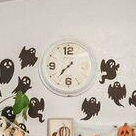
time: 7:36
